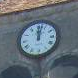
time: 12:02
